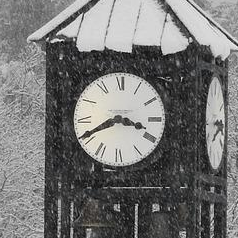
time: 3:40
